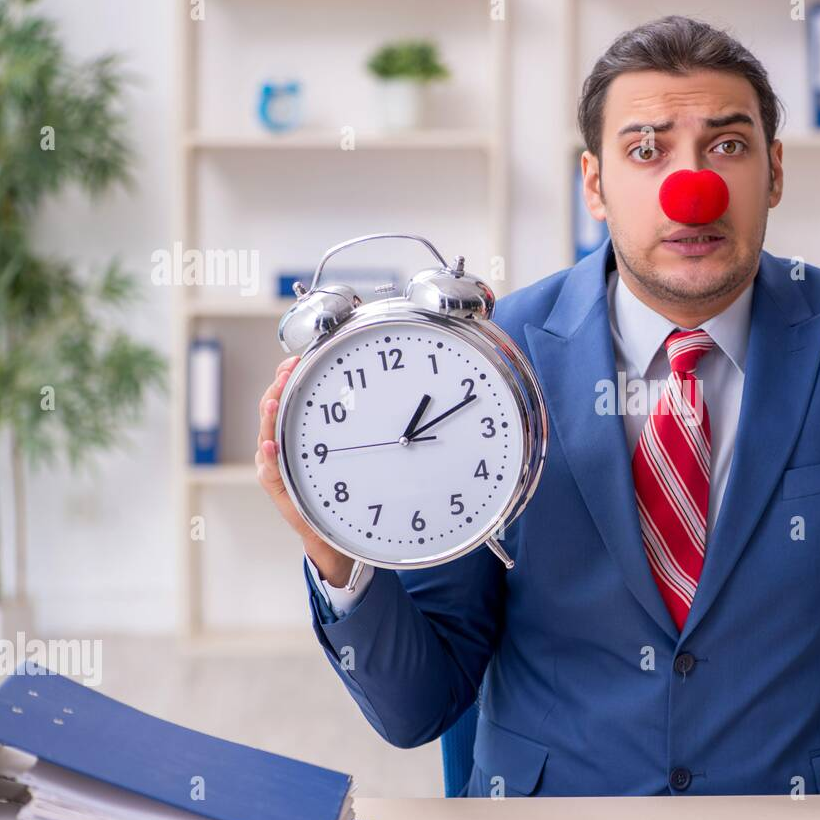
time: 1:11
